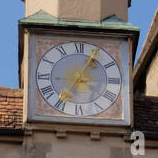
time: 7:05
